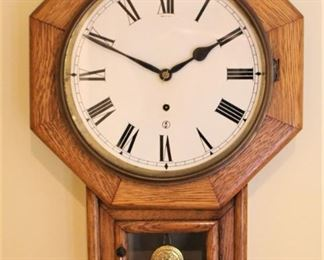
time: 1:49
